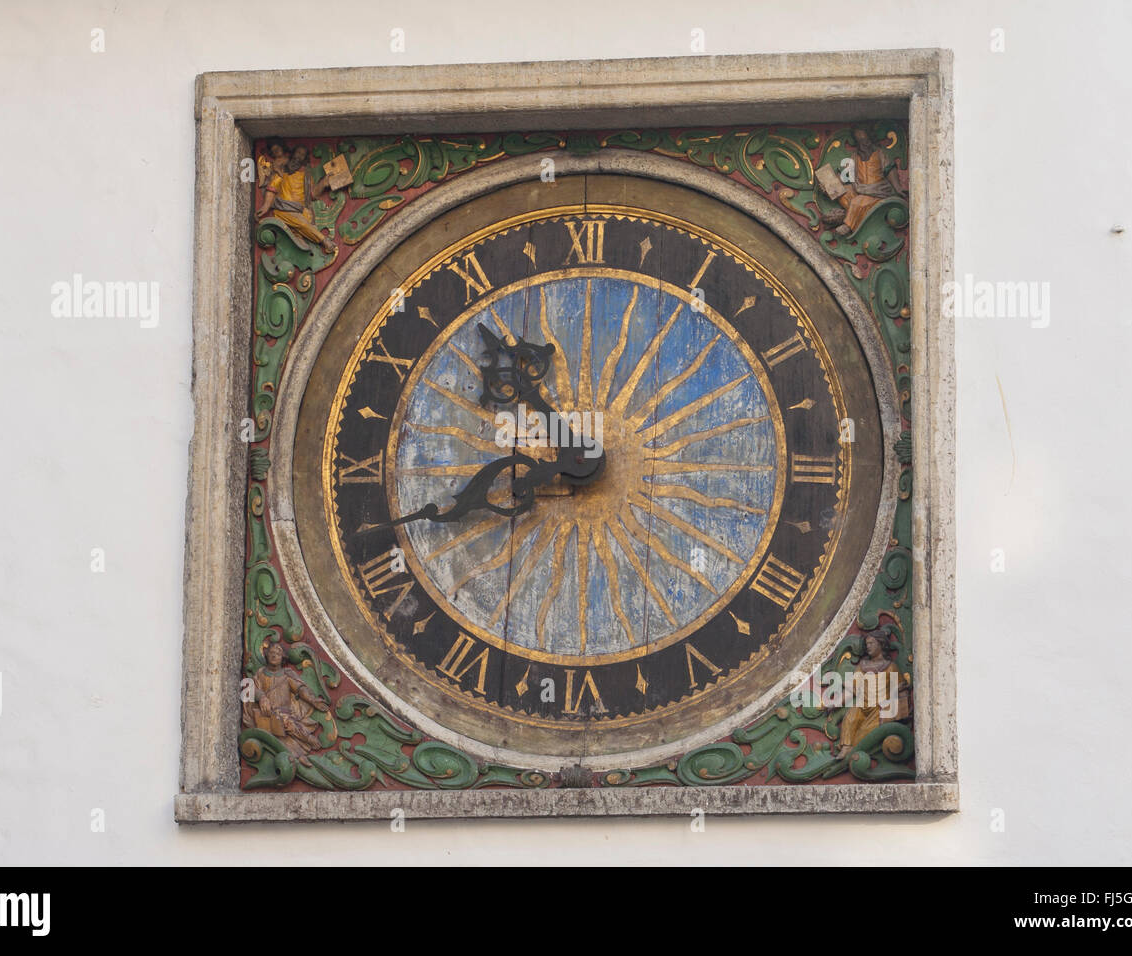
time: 10:41
